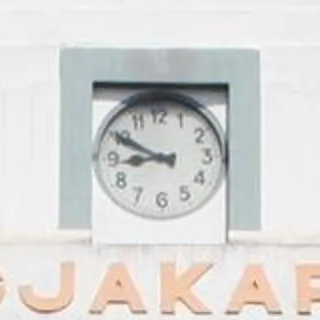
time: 8:49
